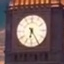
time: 6:24
